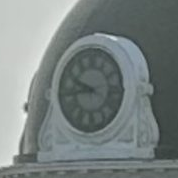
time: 9:42
